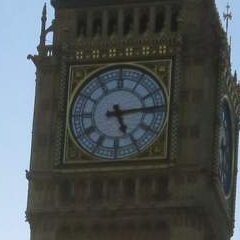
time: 5:14
